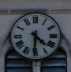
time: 4:30
